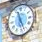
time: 11:26
